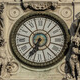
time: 6:34
